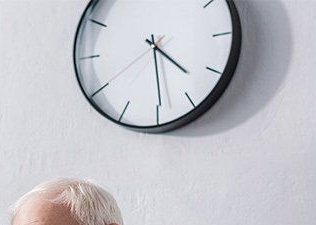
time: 4:29
